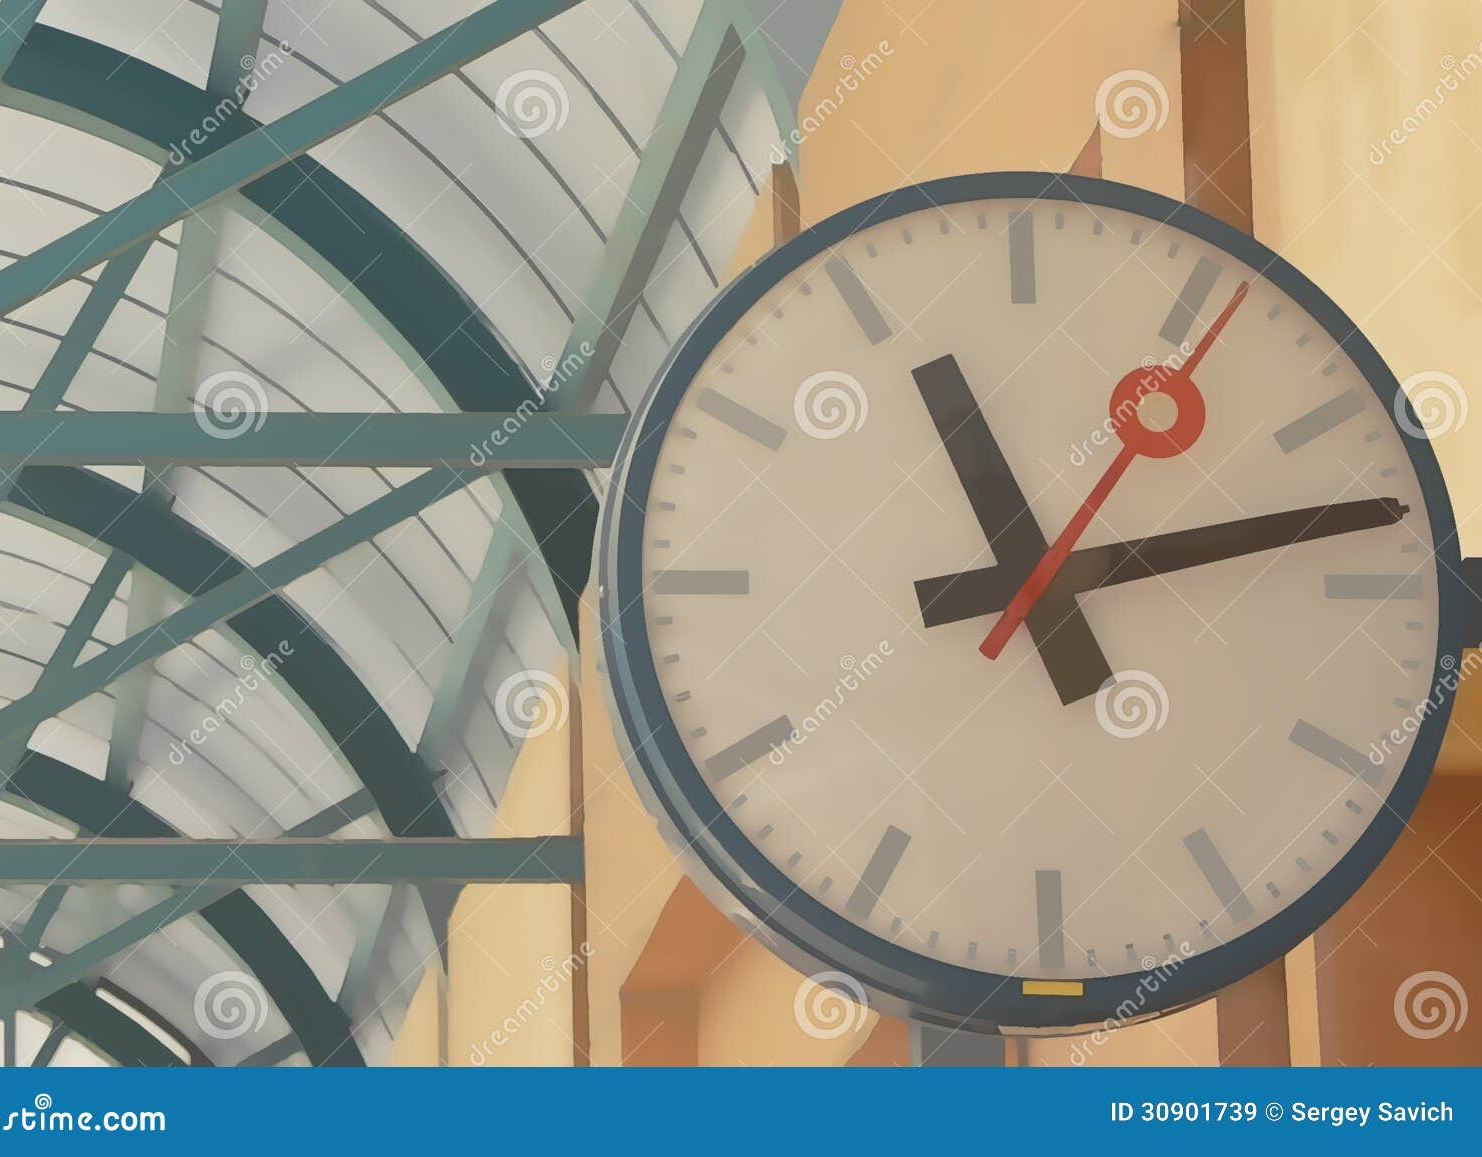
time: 11:12
